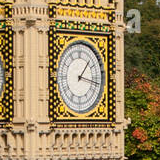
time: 1:17
